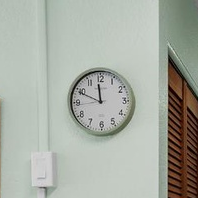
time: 11:49
